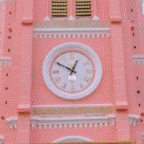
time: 12:49
